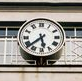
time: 5:38
